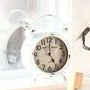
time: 5:00
